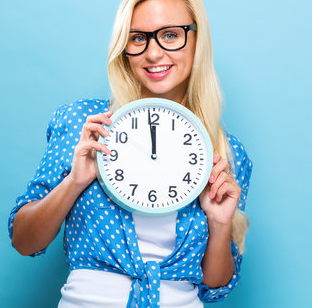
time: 11:58
